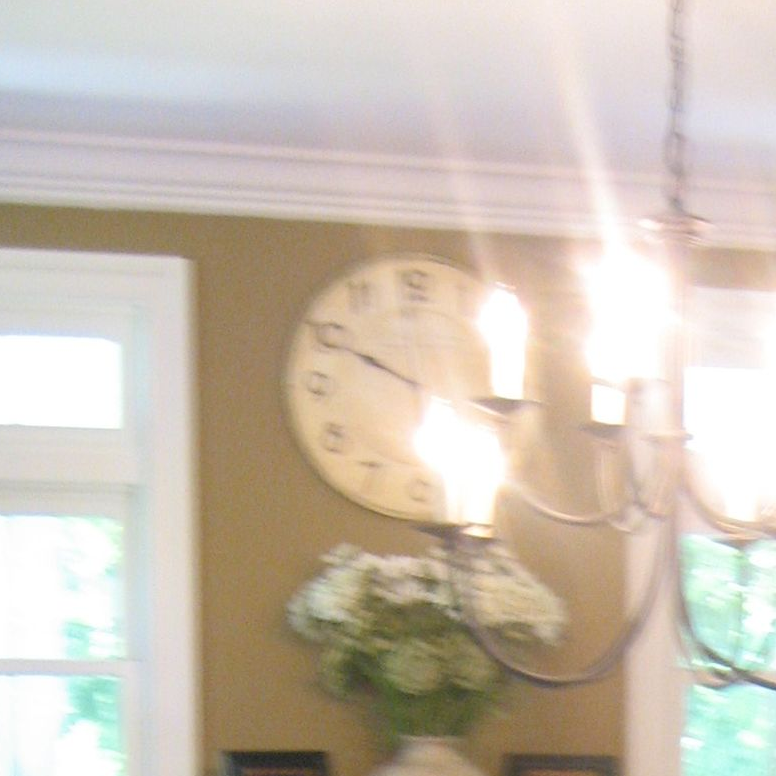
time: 3:49
